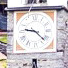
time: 9:22
